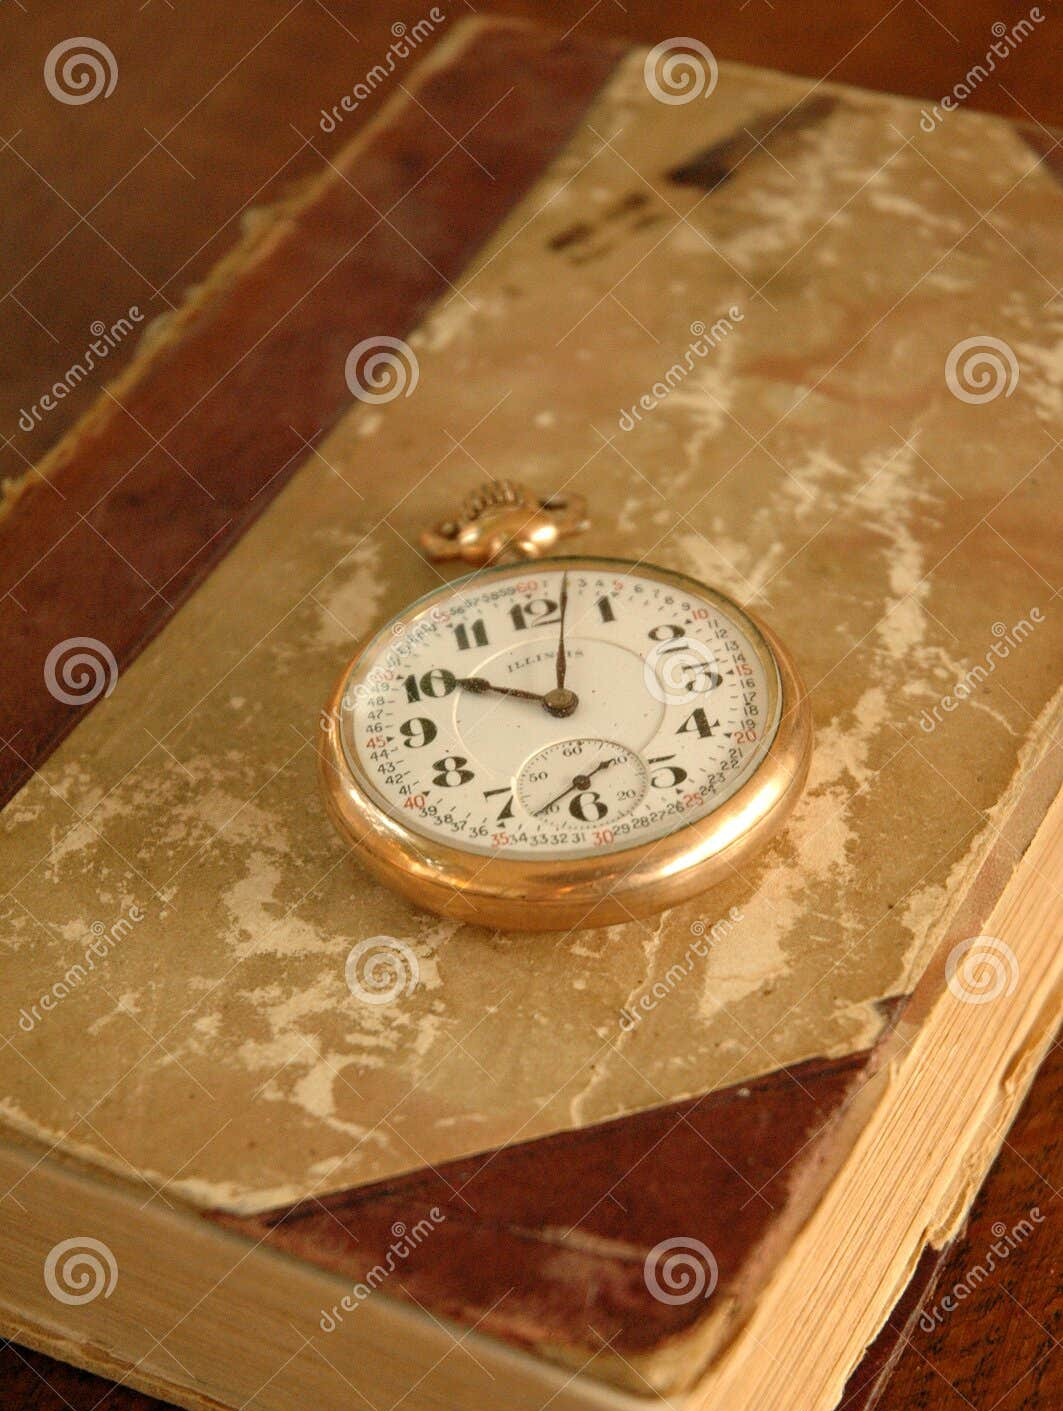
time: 10:02
